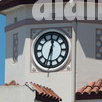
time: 12:33
